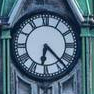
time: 6:22
